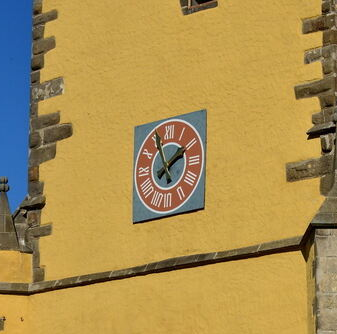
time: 1:55
